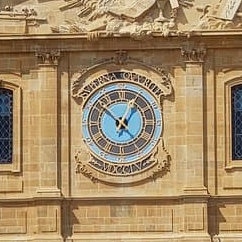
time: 12:52
